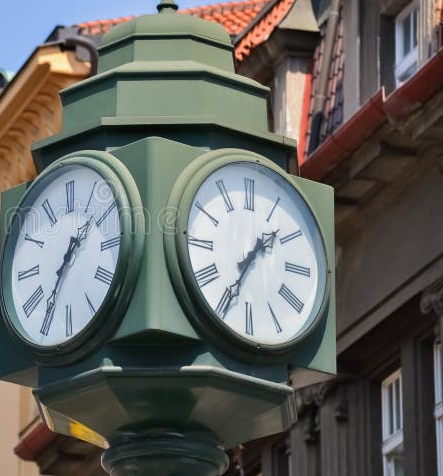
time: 1:34
